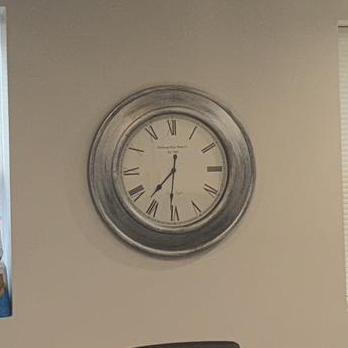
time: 7:31
